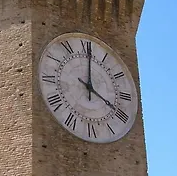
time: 4:00
